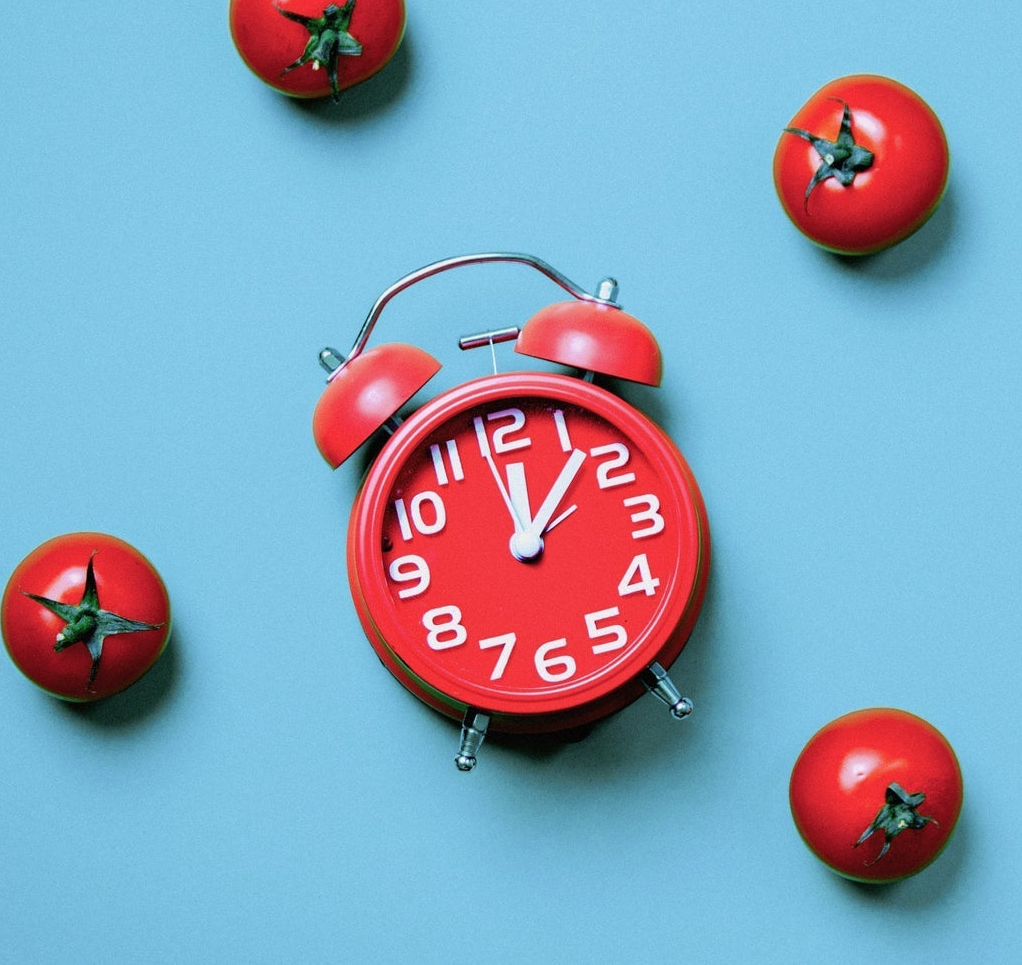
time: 12:07
